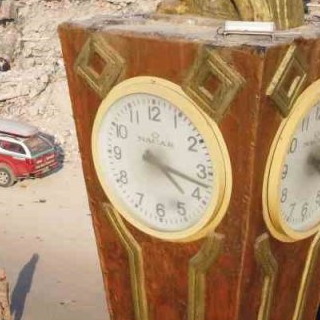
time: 4:17
